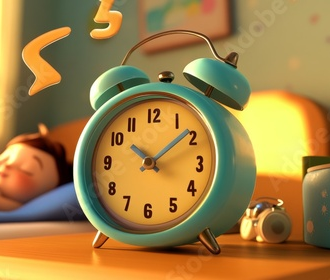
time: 10:08
